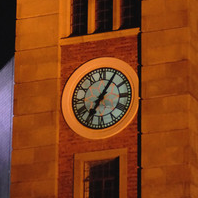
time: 7:05
